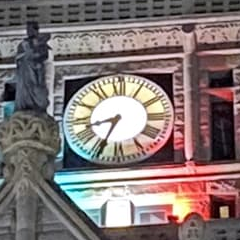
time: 8:34
